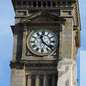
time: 11:21
